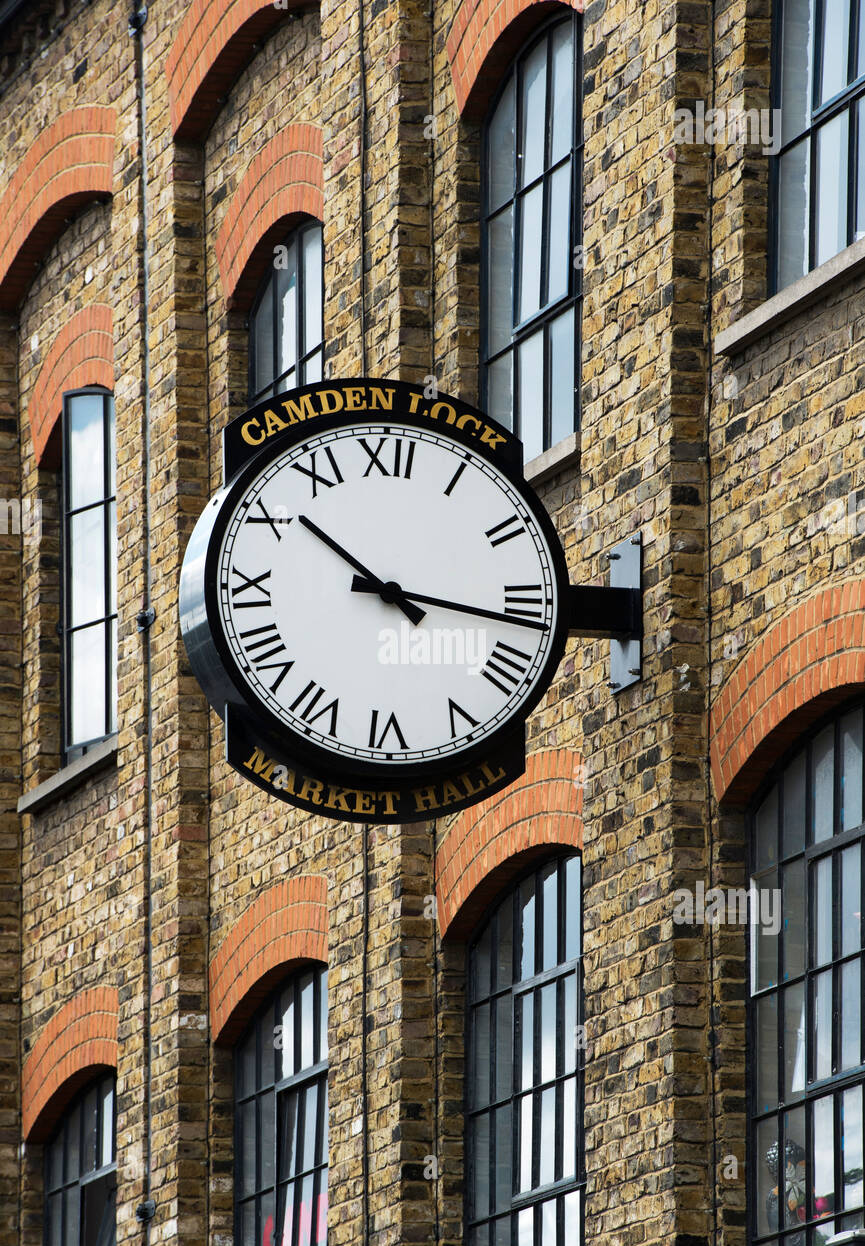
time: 10:16
